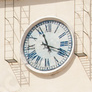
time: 11:18
